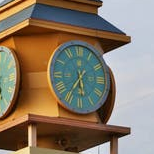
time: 5:35
